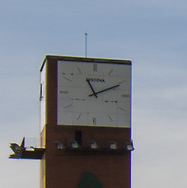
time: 11:10
